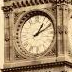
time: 1:10
